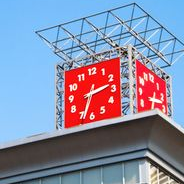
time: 2:33
